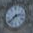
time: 2:38
